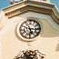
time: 5:15
